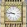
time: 9:45
